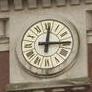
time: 12:14
